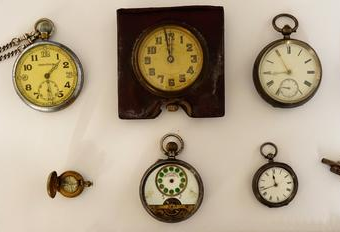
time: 11:58
